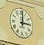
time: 3:01
